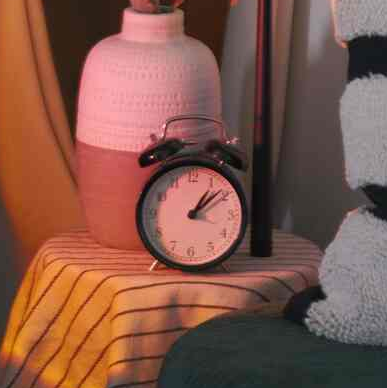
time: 1:08
